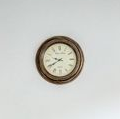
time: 9:40
